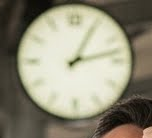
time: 1:12
